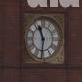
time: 11:31
